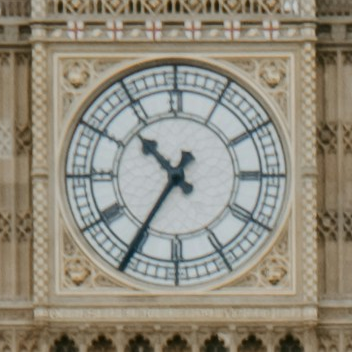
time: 10:35
